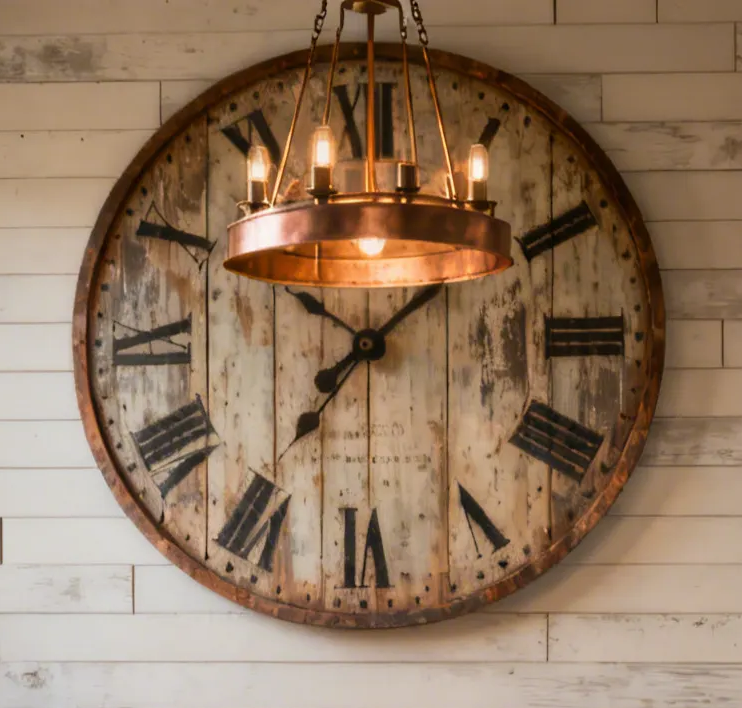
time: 1:50
